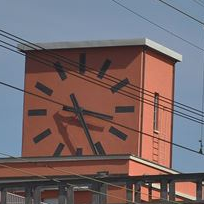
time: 3:26
